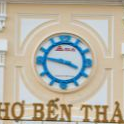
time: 3:47
